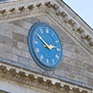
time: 2:50
